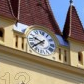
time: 9:38
